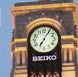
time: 7:05
